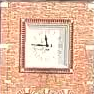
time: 11:46
